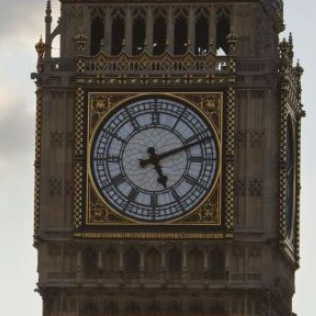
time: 5:11
